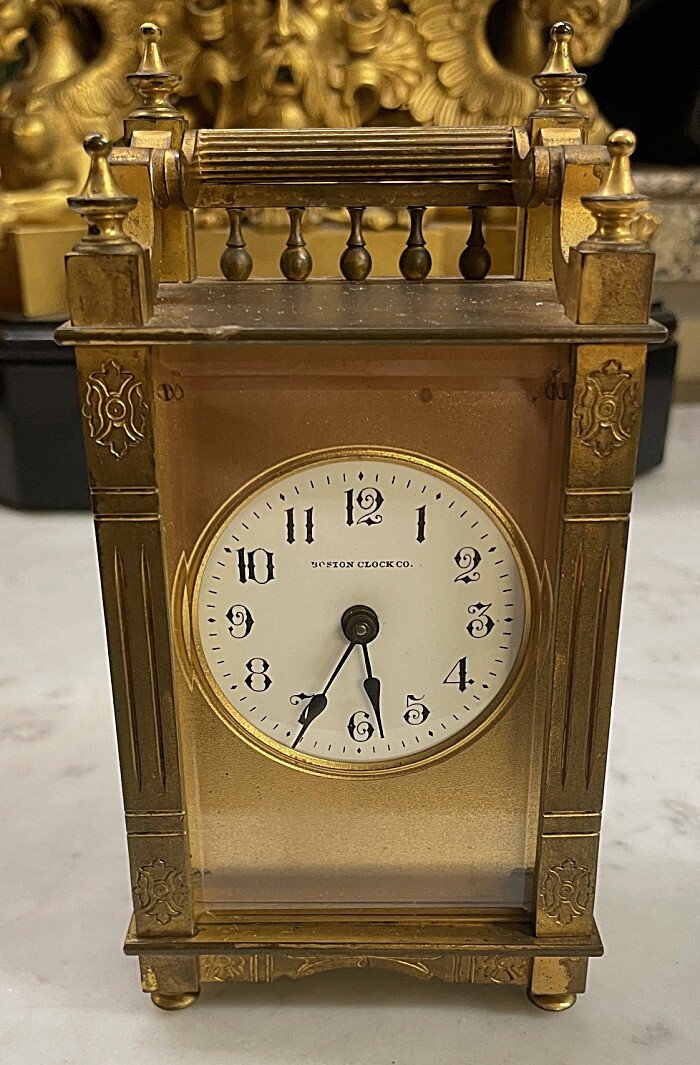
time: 5:34
